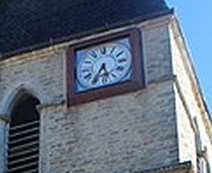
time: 5:35
